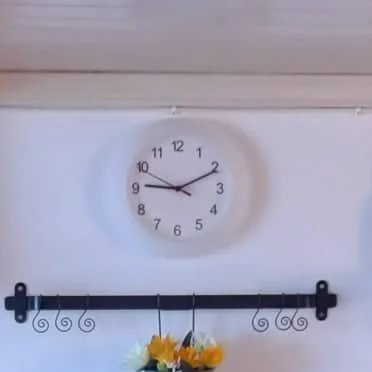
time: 9:10
